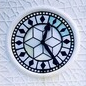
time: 12:24
